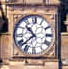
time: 10:37
